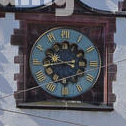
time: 3:43
